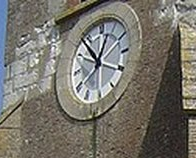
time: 12:53
